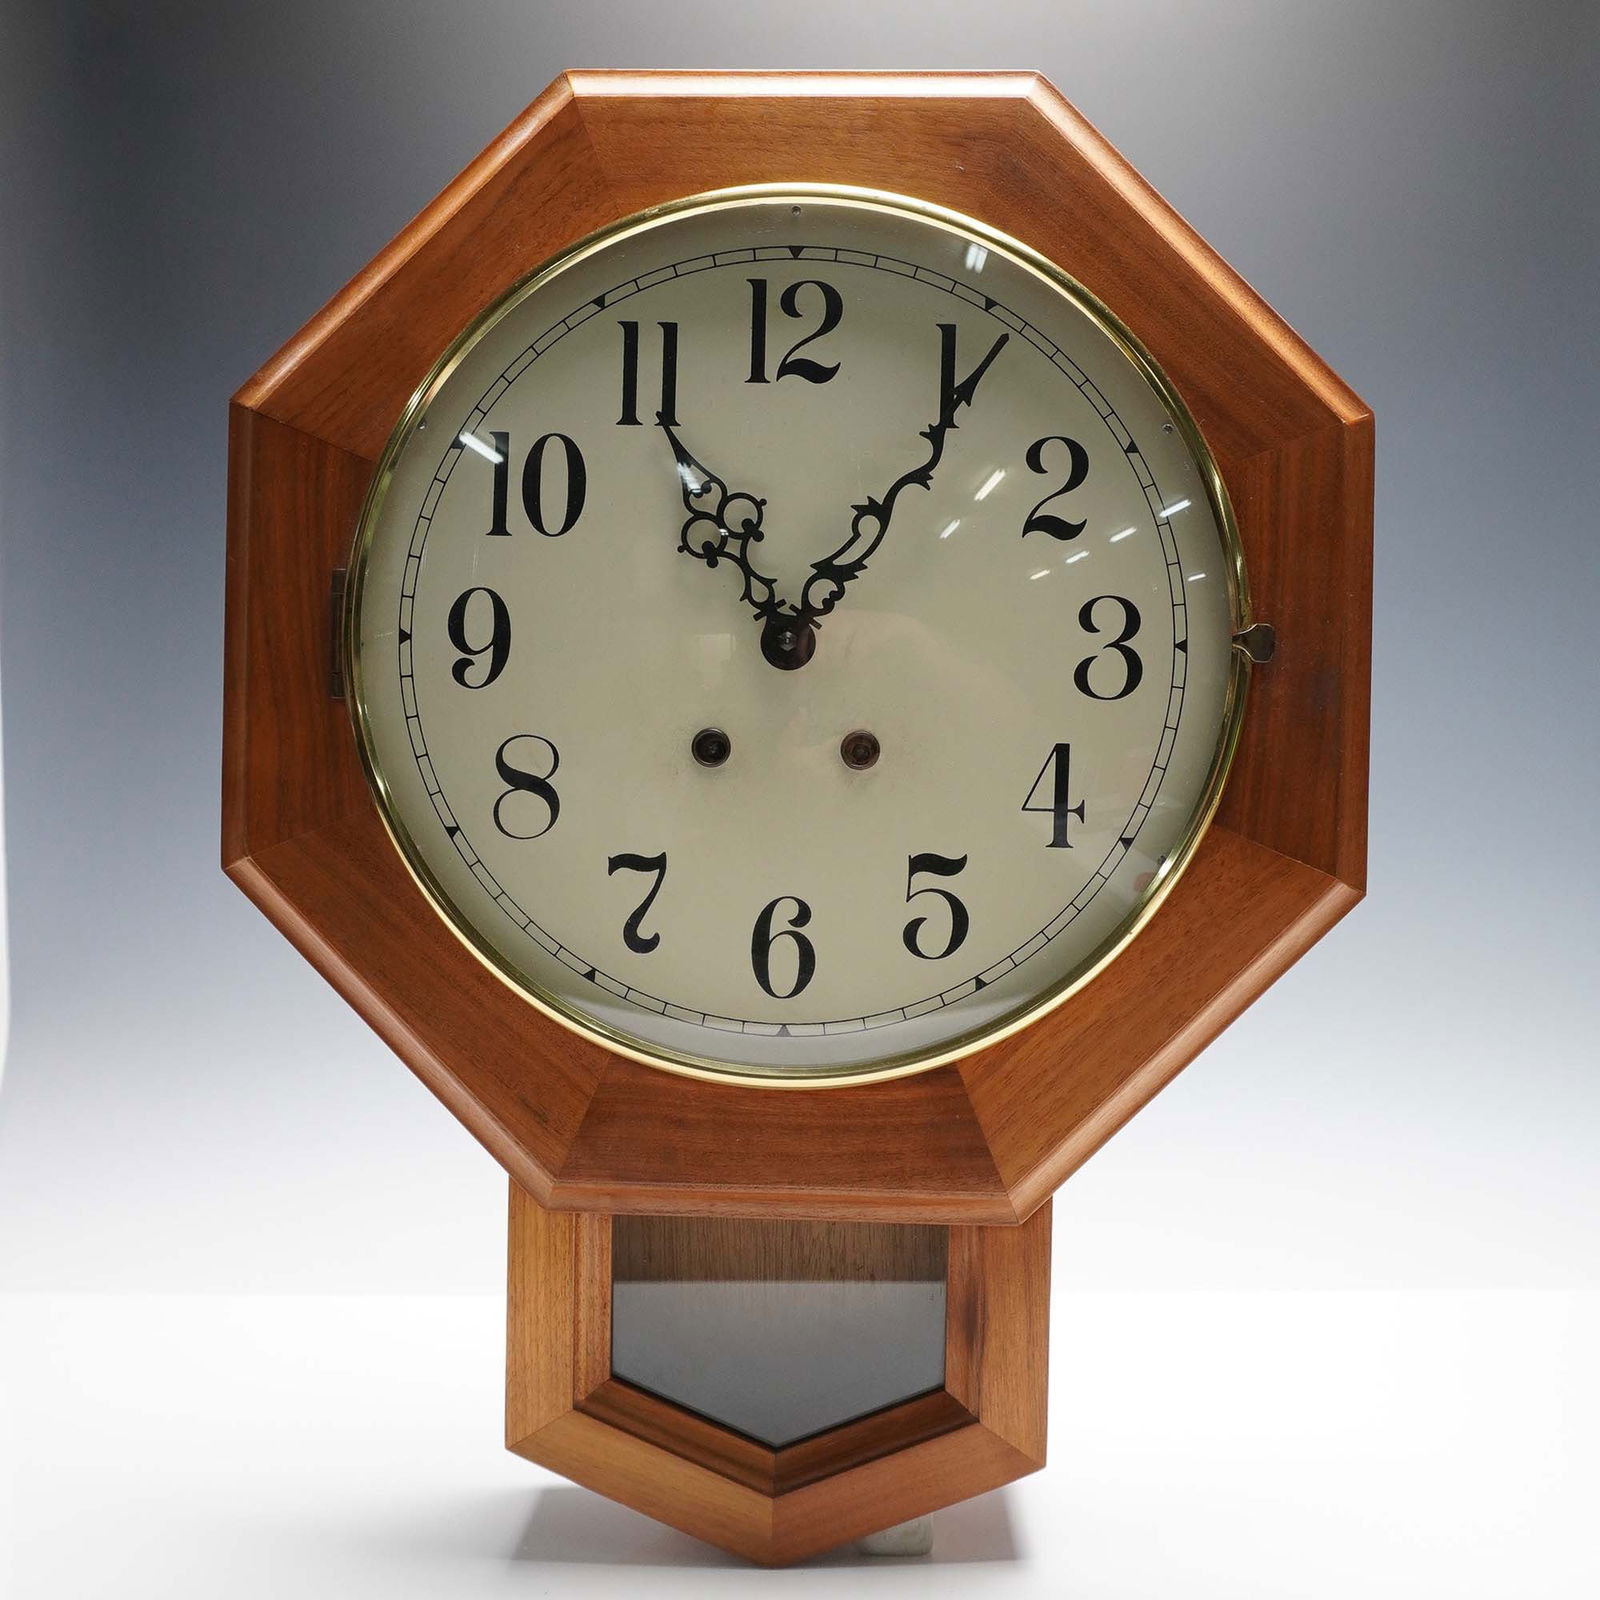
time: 11:06
